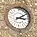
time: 3:09
